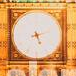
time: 5:12
